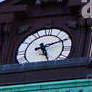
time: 5:11
